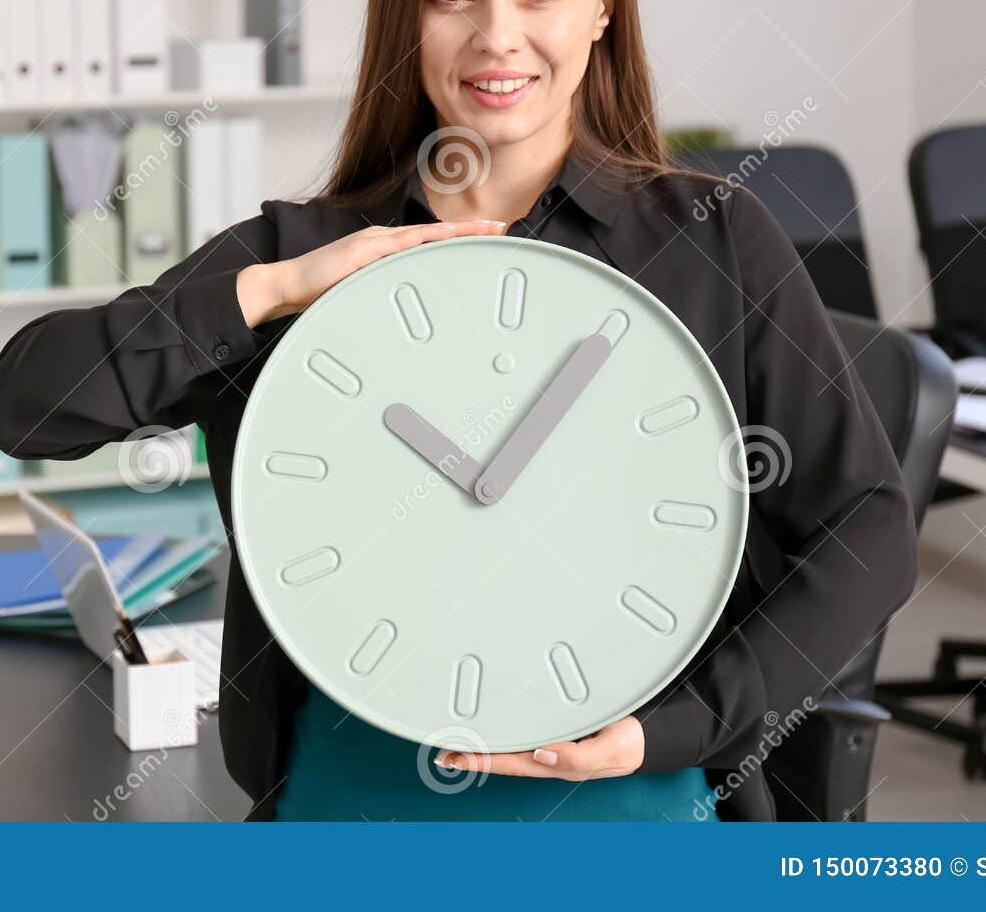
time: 10:04
